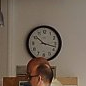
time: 10:17
